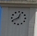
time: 12:40
